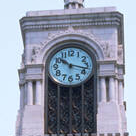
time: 10:17
